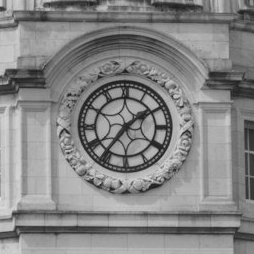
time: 1:36
